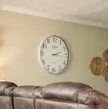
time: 2:16
